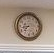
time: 7:43
